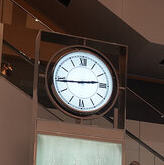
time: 2:44
